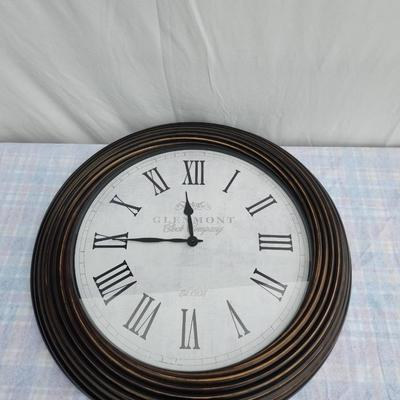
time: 11:44
